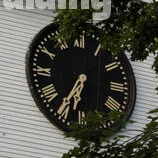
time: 6:35
